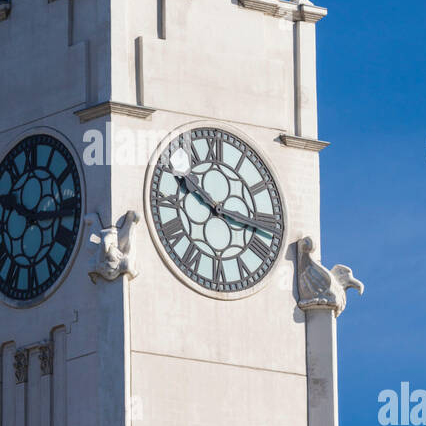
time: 10:17
